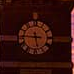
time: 5:45
